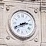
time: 2:40
